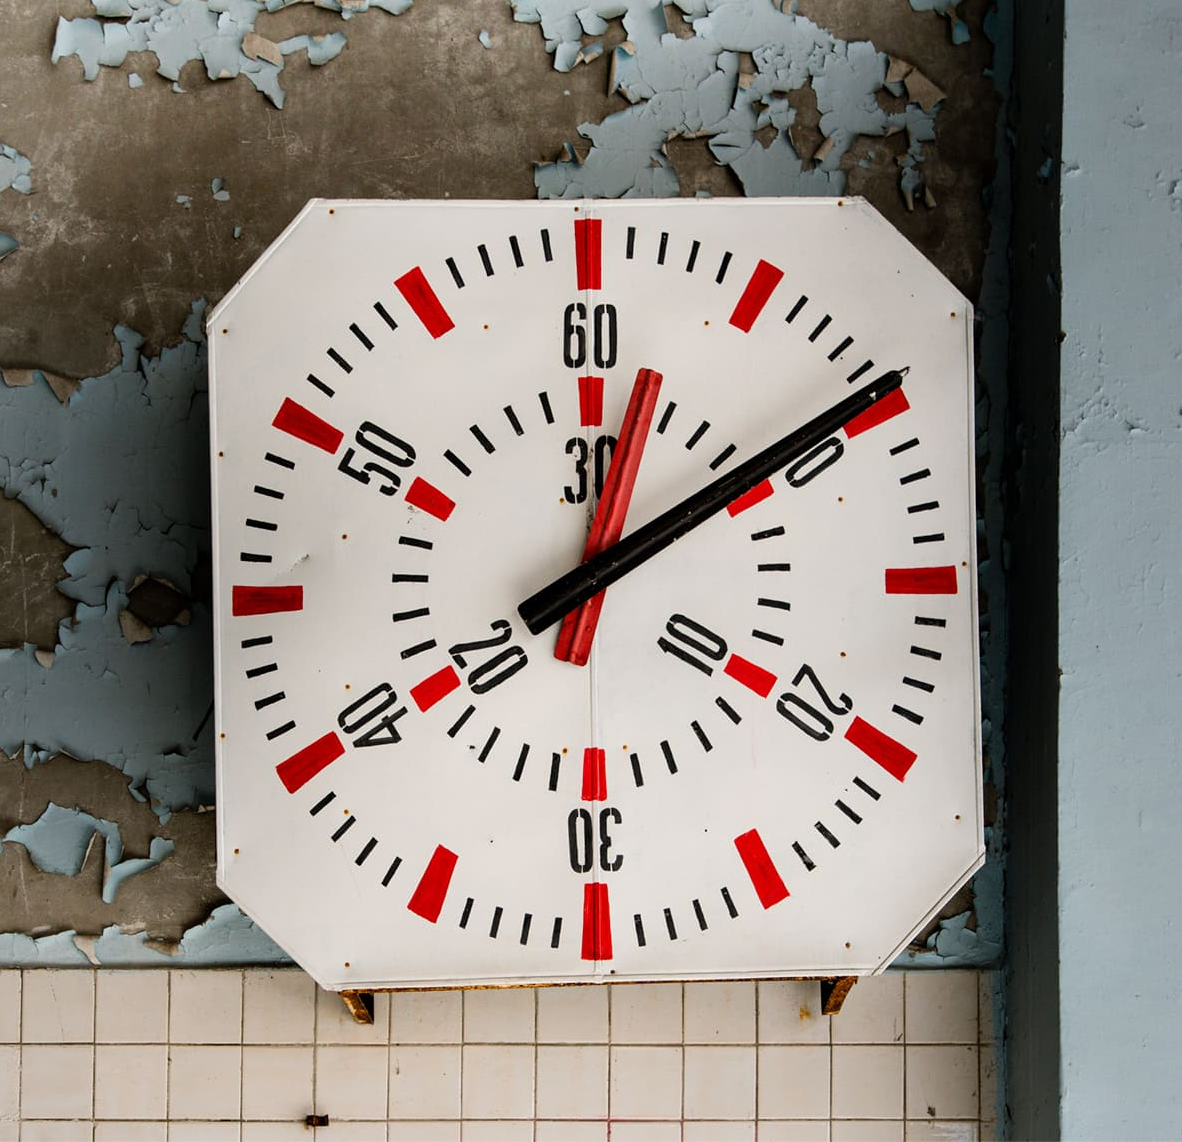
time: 12:09
